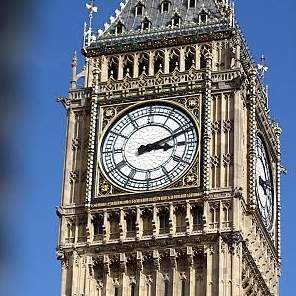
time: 3:11
